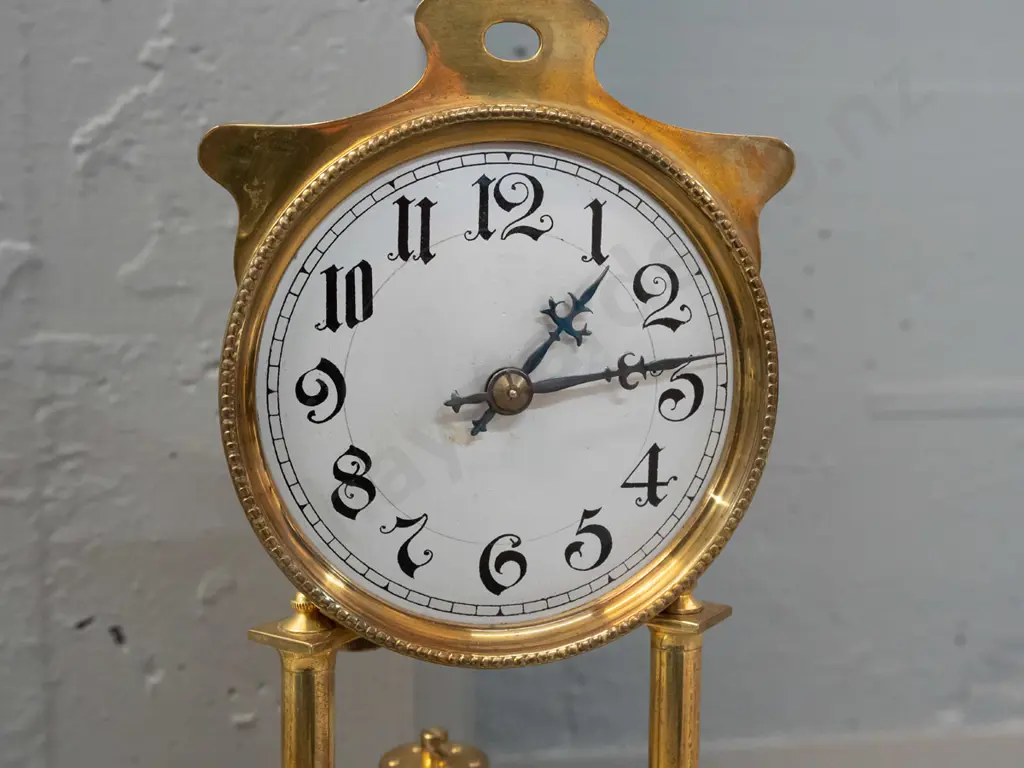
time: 1:13
